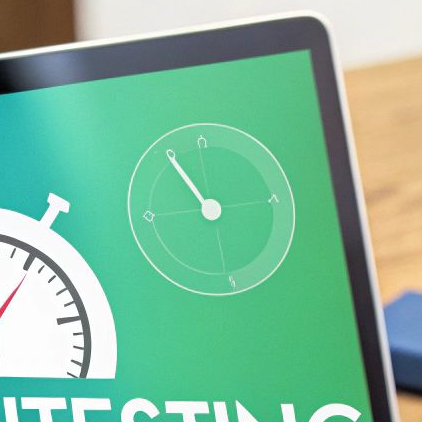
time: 10:54
